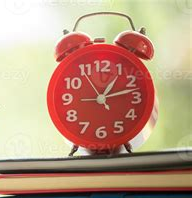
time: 1:12
